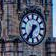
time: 6:36
